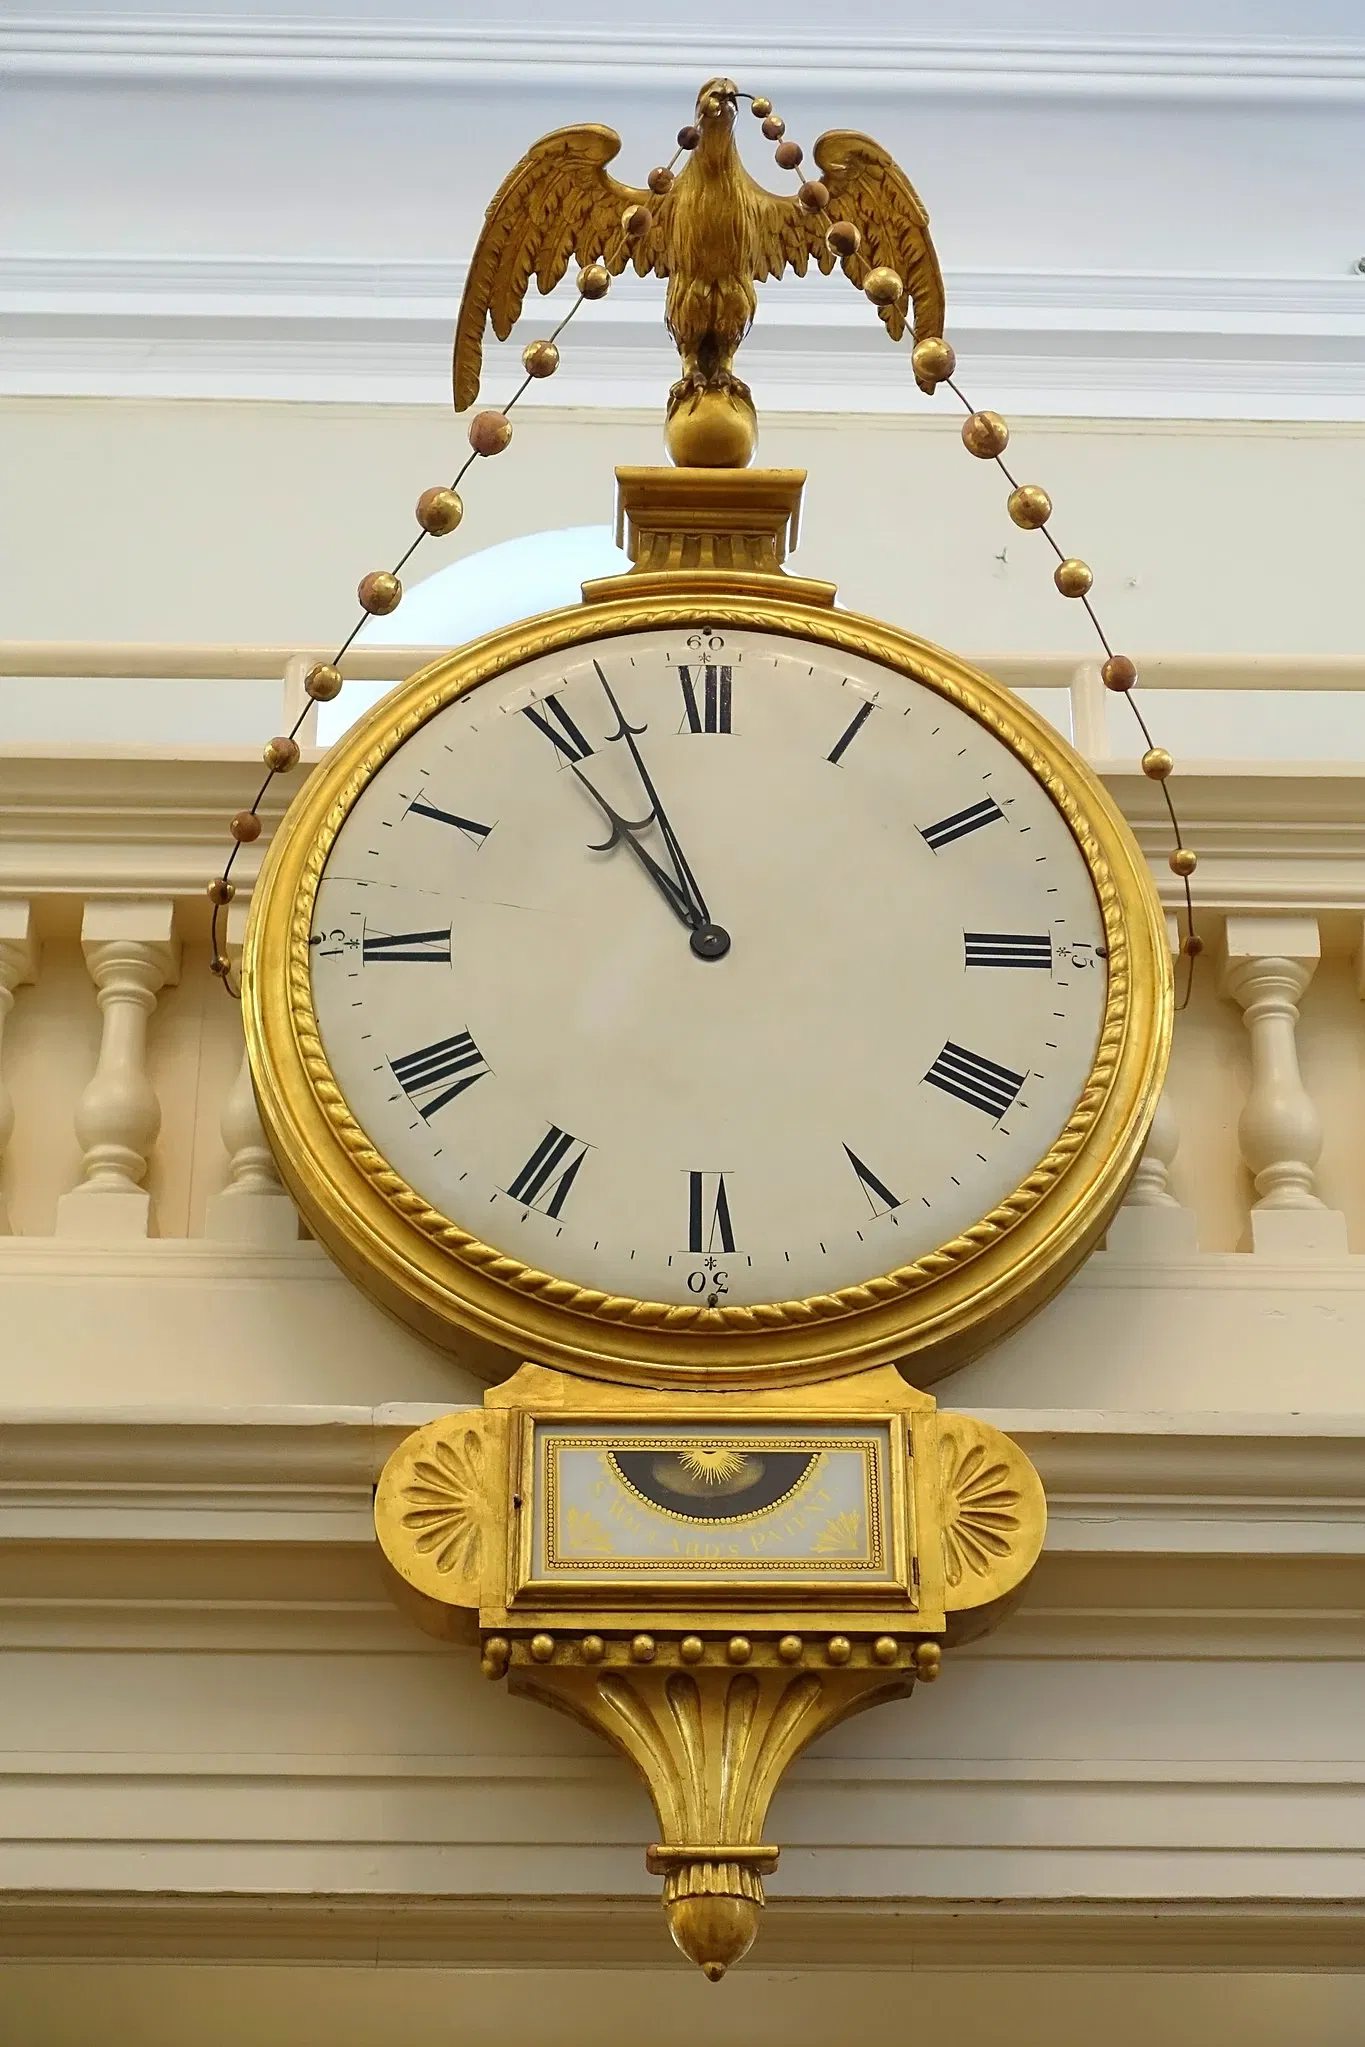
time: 10:56
